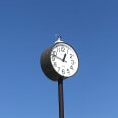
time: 12:47
